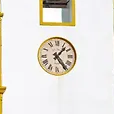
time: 1:24
